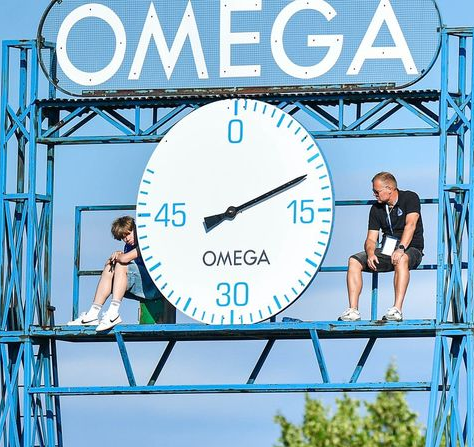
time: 2:11
